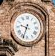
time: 9:33
